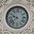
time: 9:38
